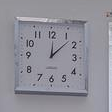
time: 12:07
